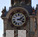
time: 2:18
